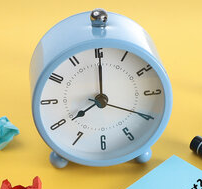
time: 8:00
